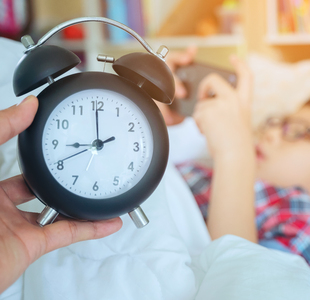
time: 8:59
